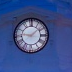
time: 9:08
